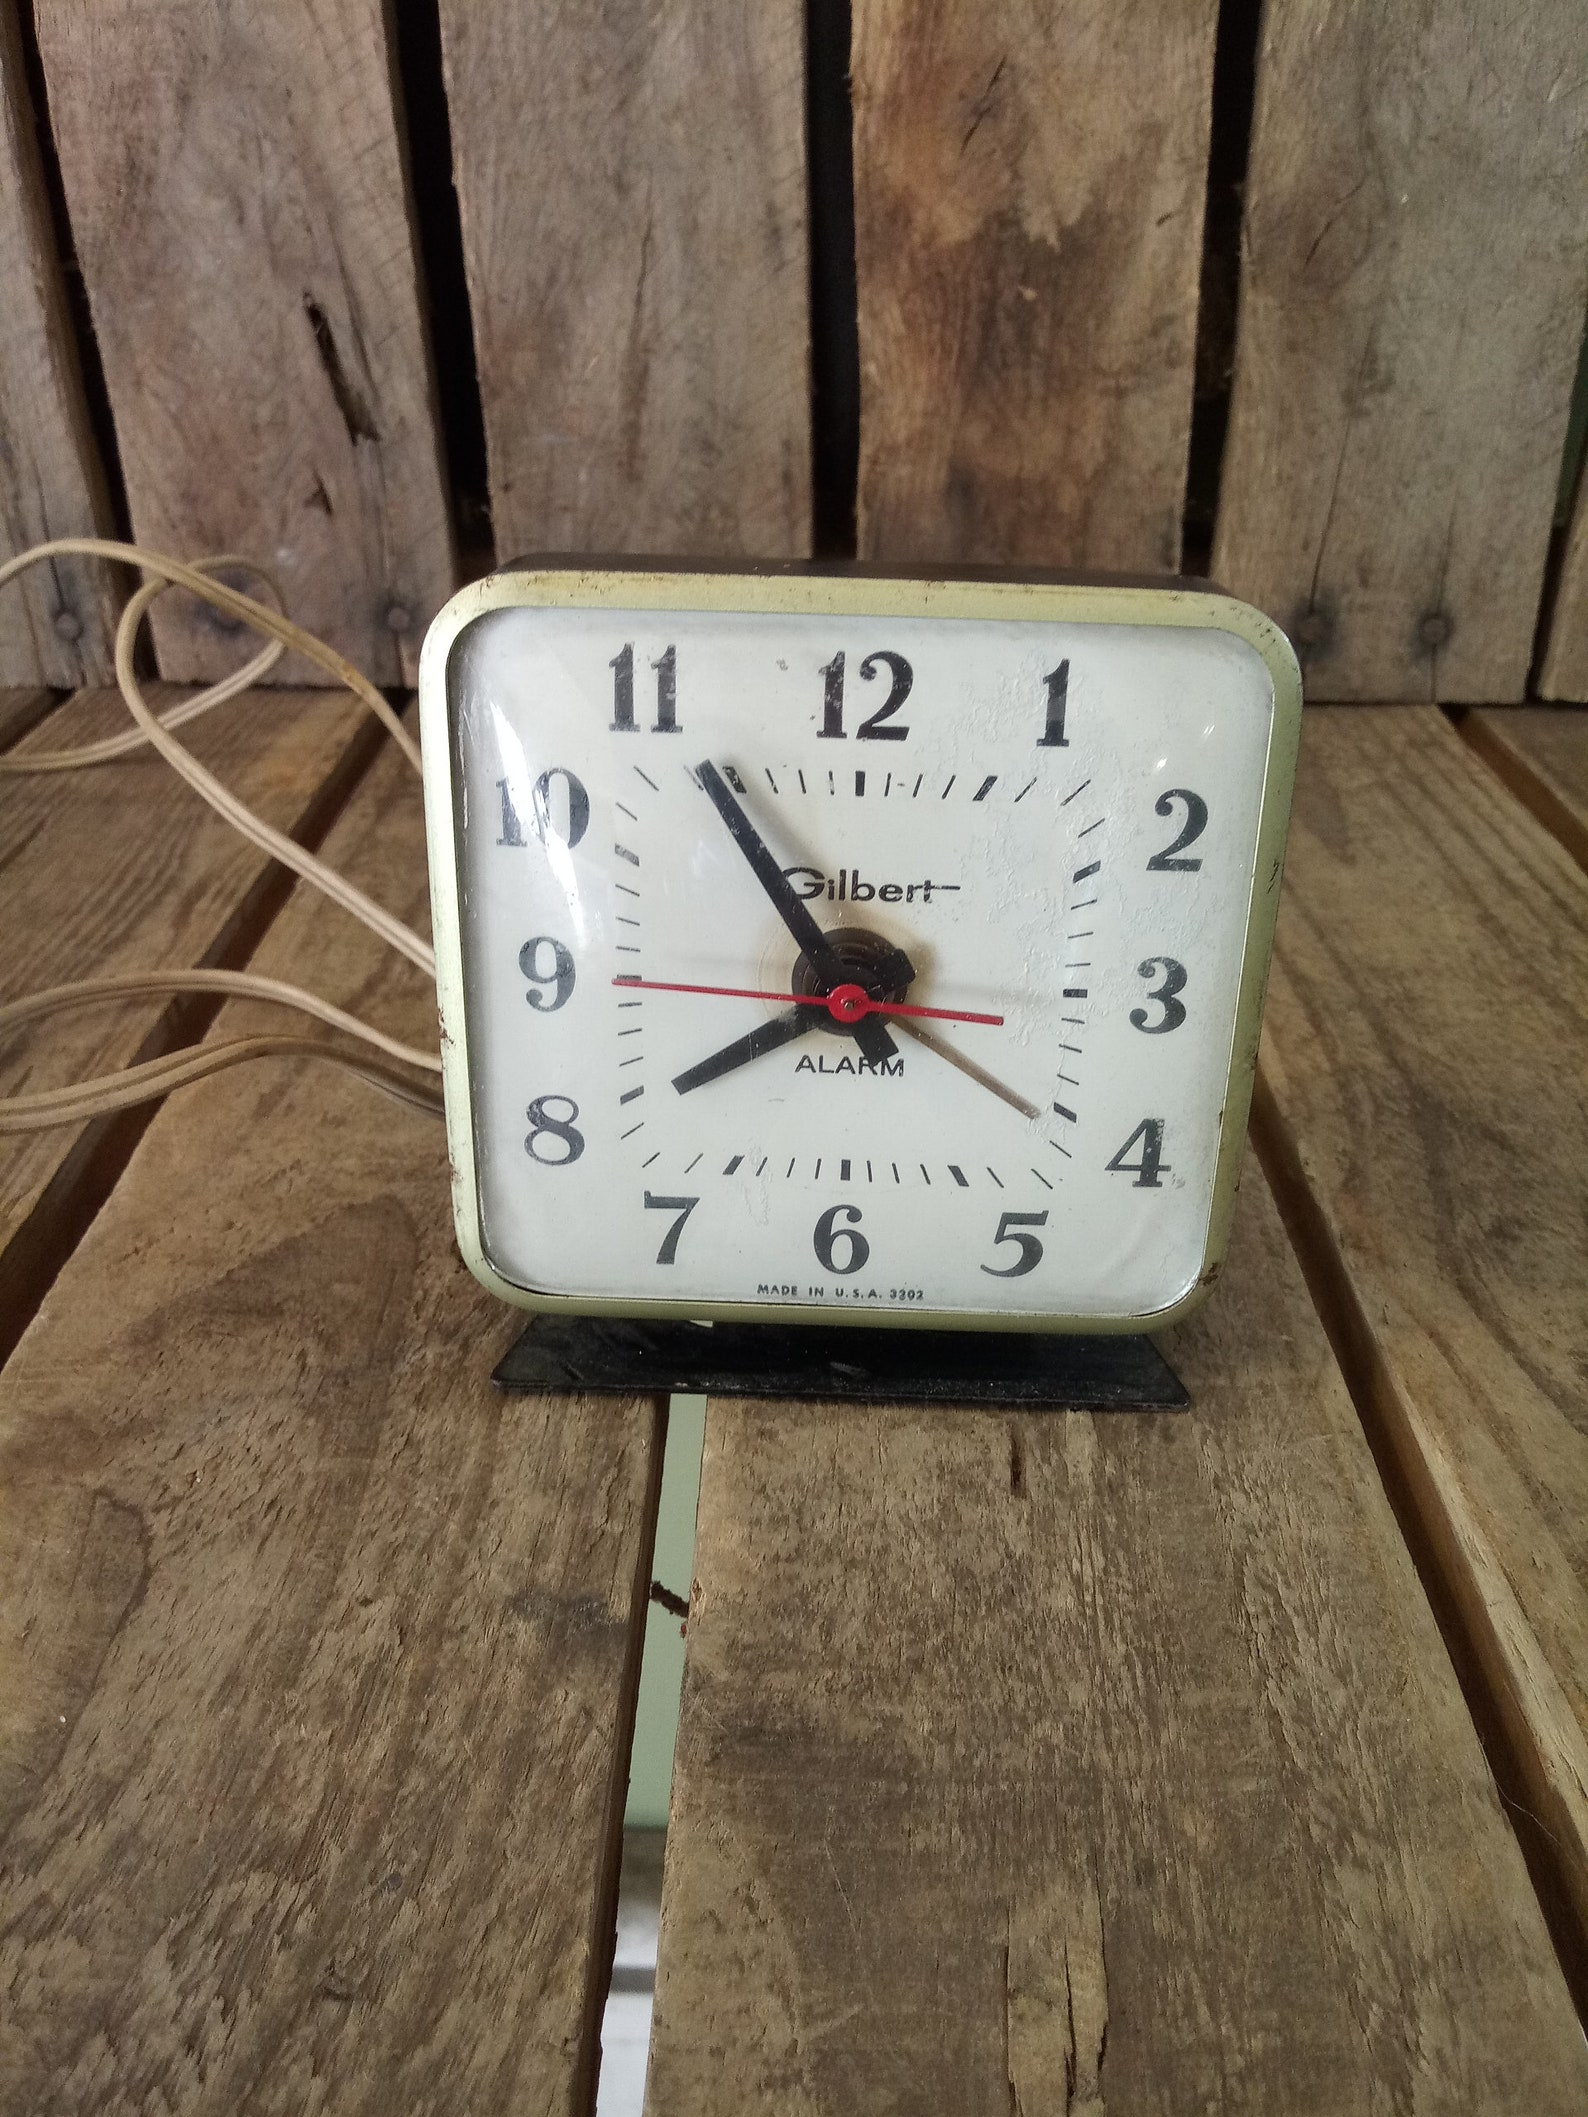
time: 7:54
